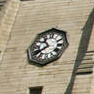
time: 7:53
